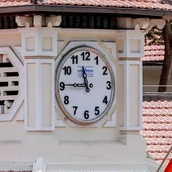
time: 11:45
